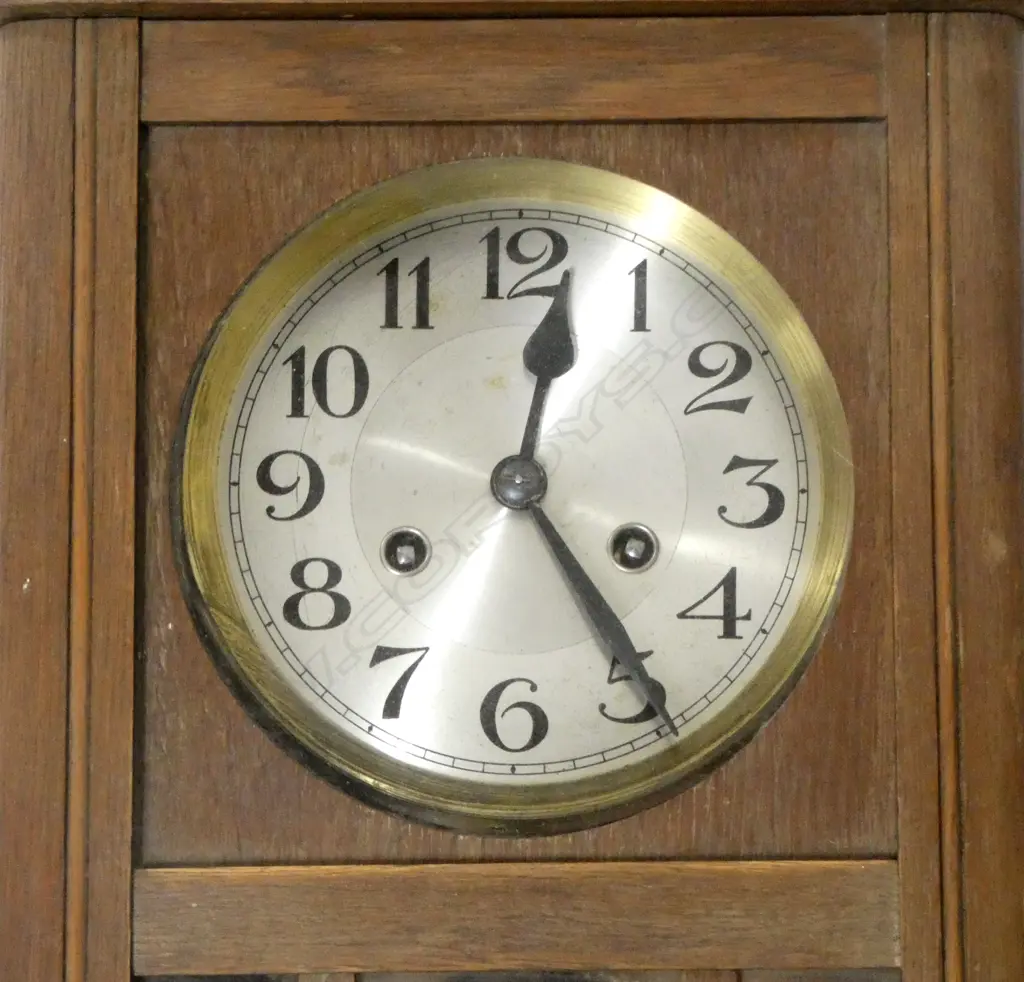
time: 12:24
